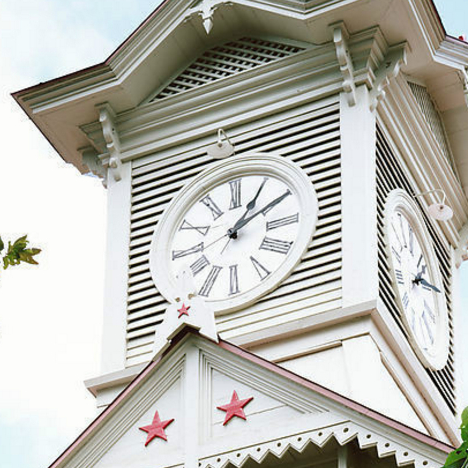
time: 1:10
